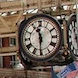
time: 11:30
